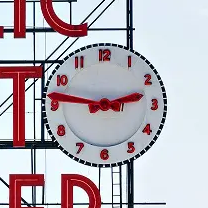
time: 2:46
